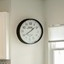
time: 1:39
